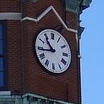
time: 10:43
